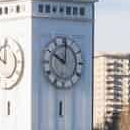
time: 10:00
